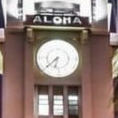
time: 6:38
